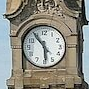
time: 5:54
